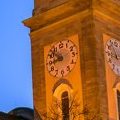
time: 8:52
